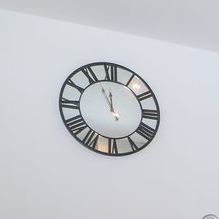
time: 11:56
